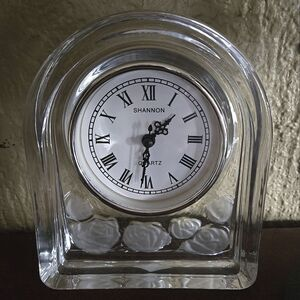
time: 1:31
